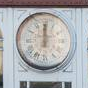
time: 12:00
